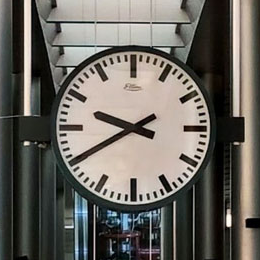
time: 9:40
